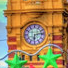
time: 6:13
